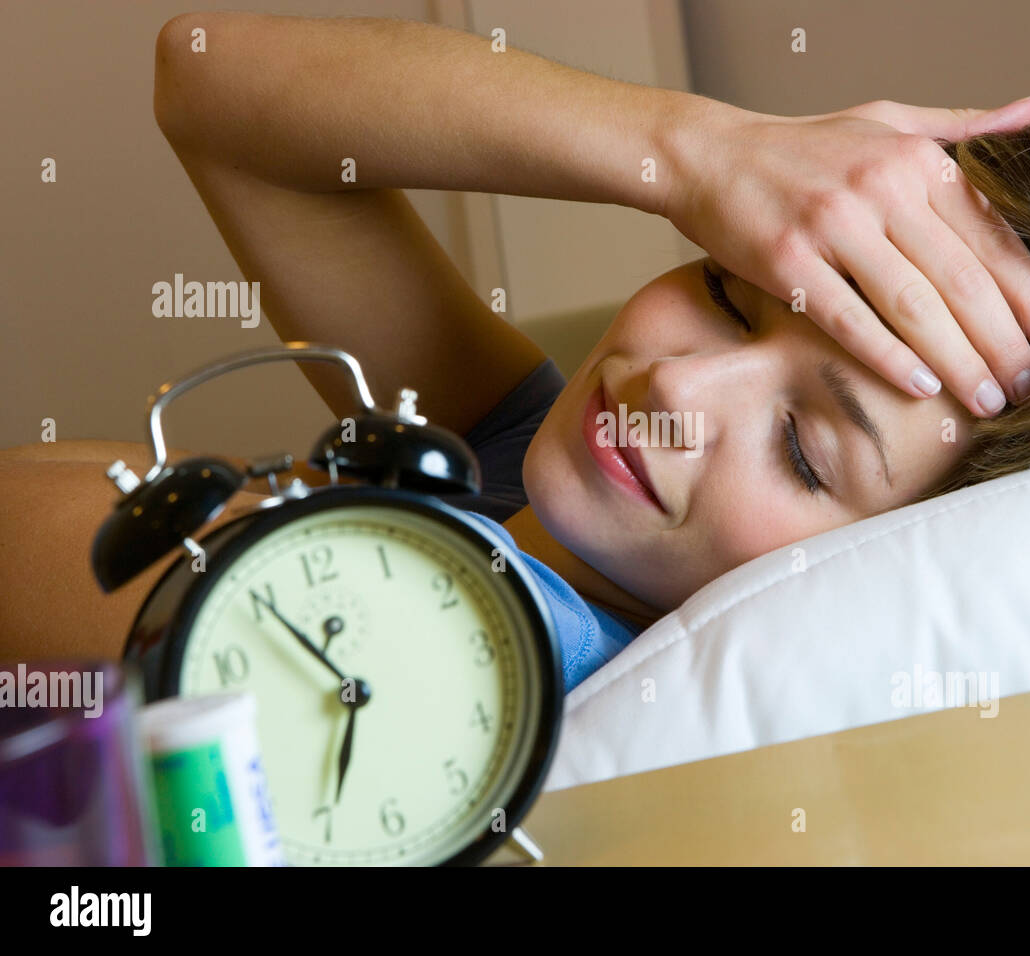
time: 6:55
